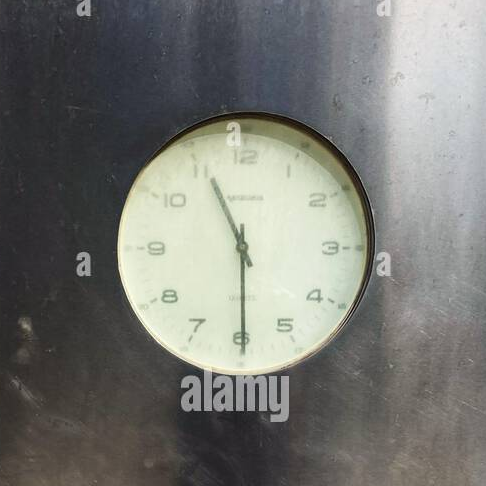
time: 5:55
